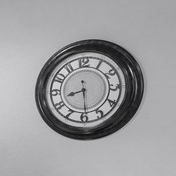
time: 8:29
